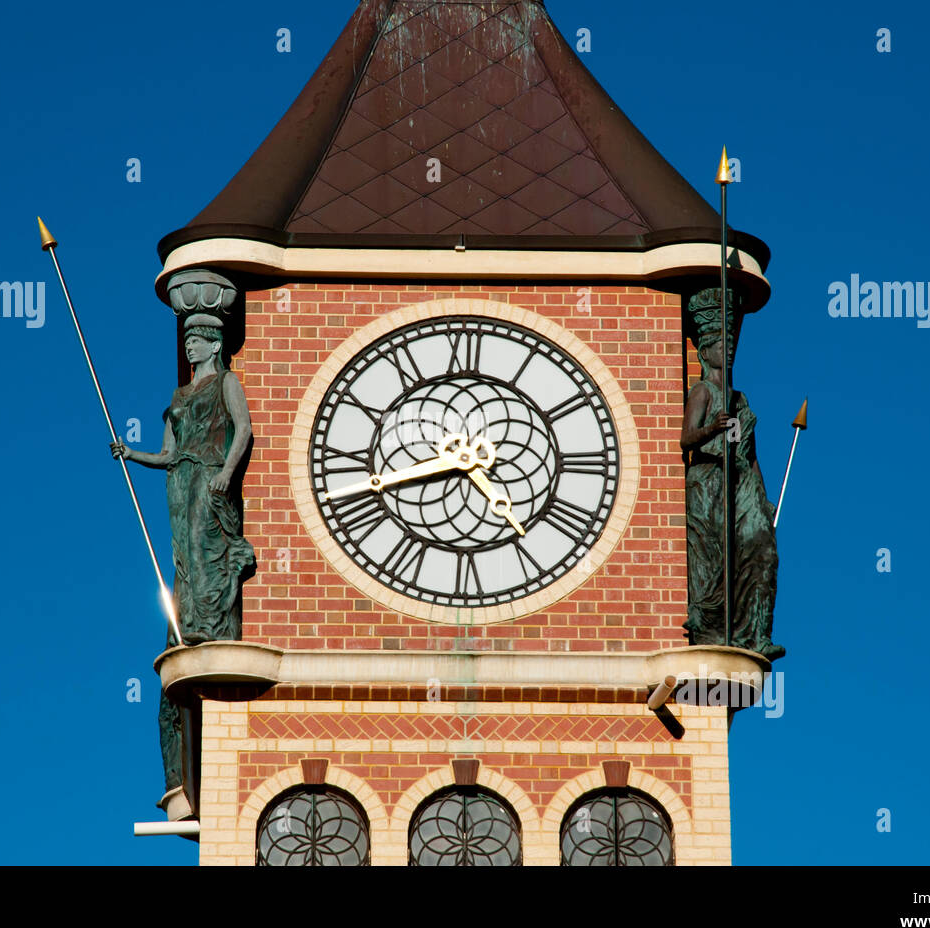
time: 4:42
